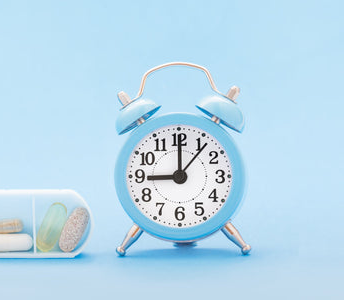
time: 9:00
